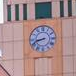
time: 8:42
